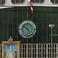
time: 4:50
